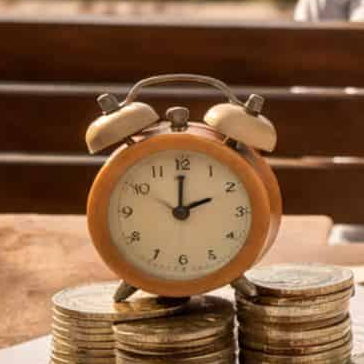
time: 2:00
